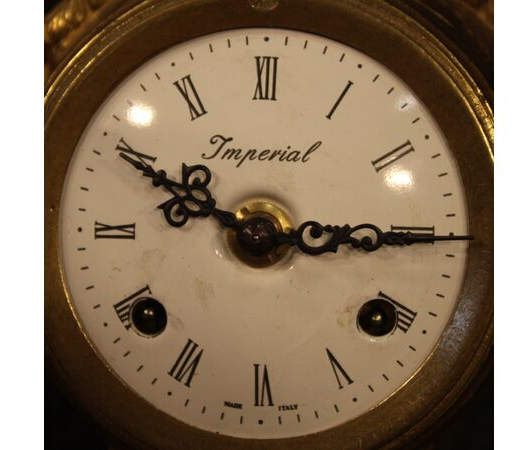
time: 2:49
